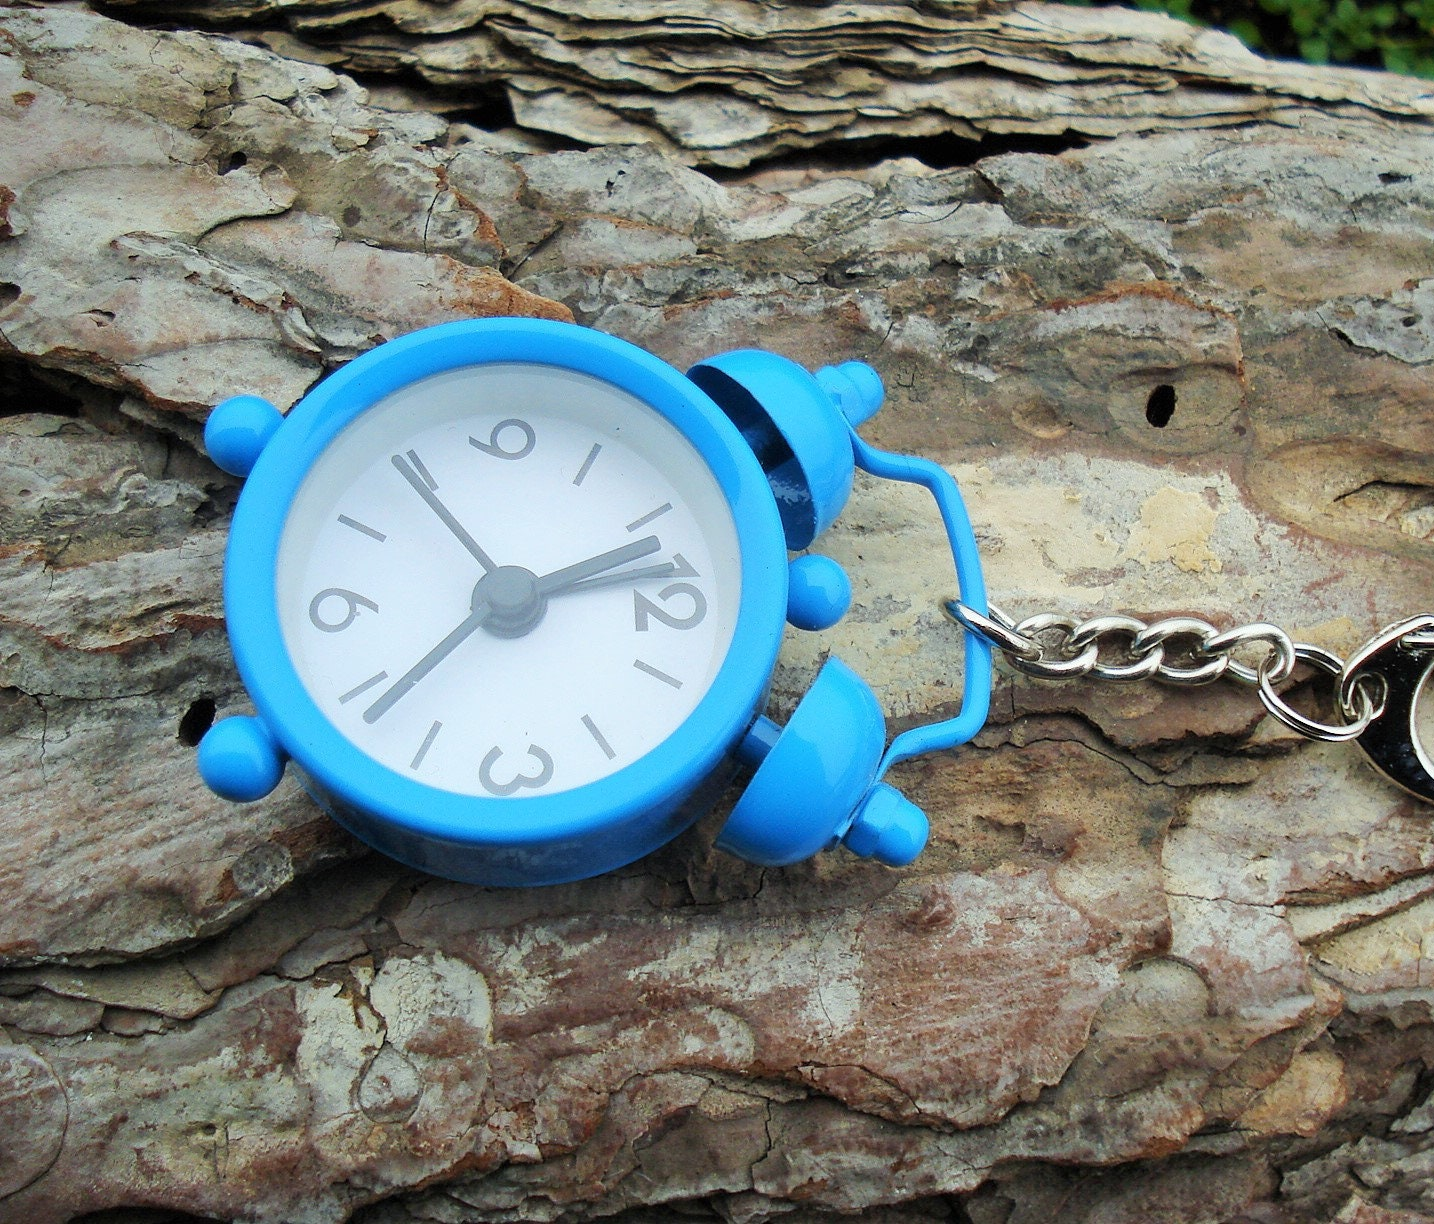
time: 2:38
